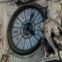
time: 4:04
